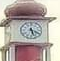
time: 5:18
